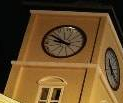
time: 9:51
